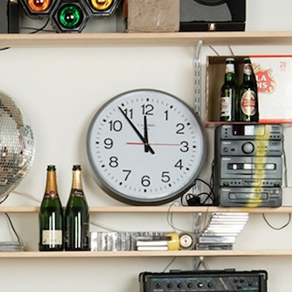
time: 11:53
